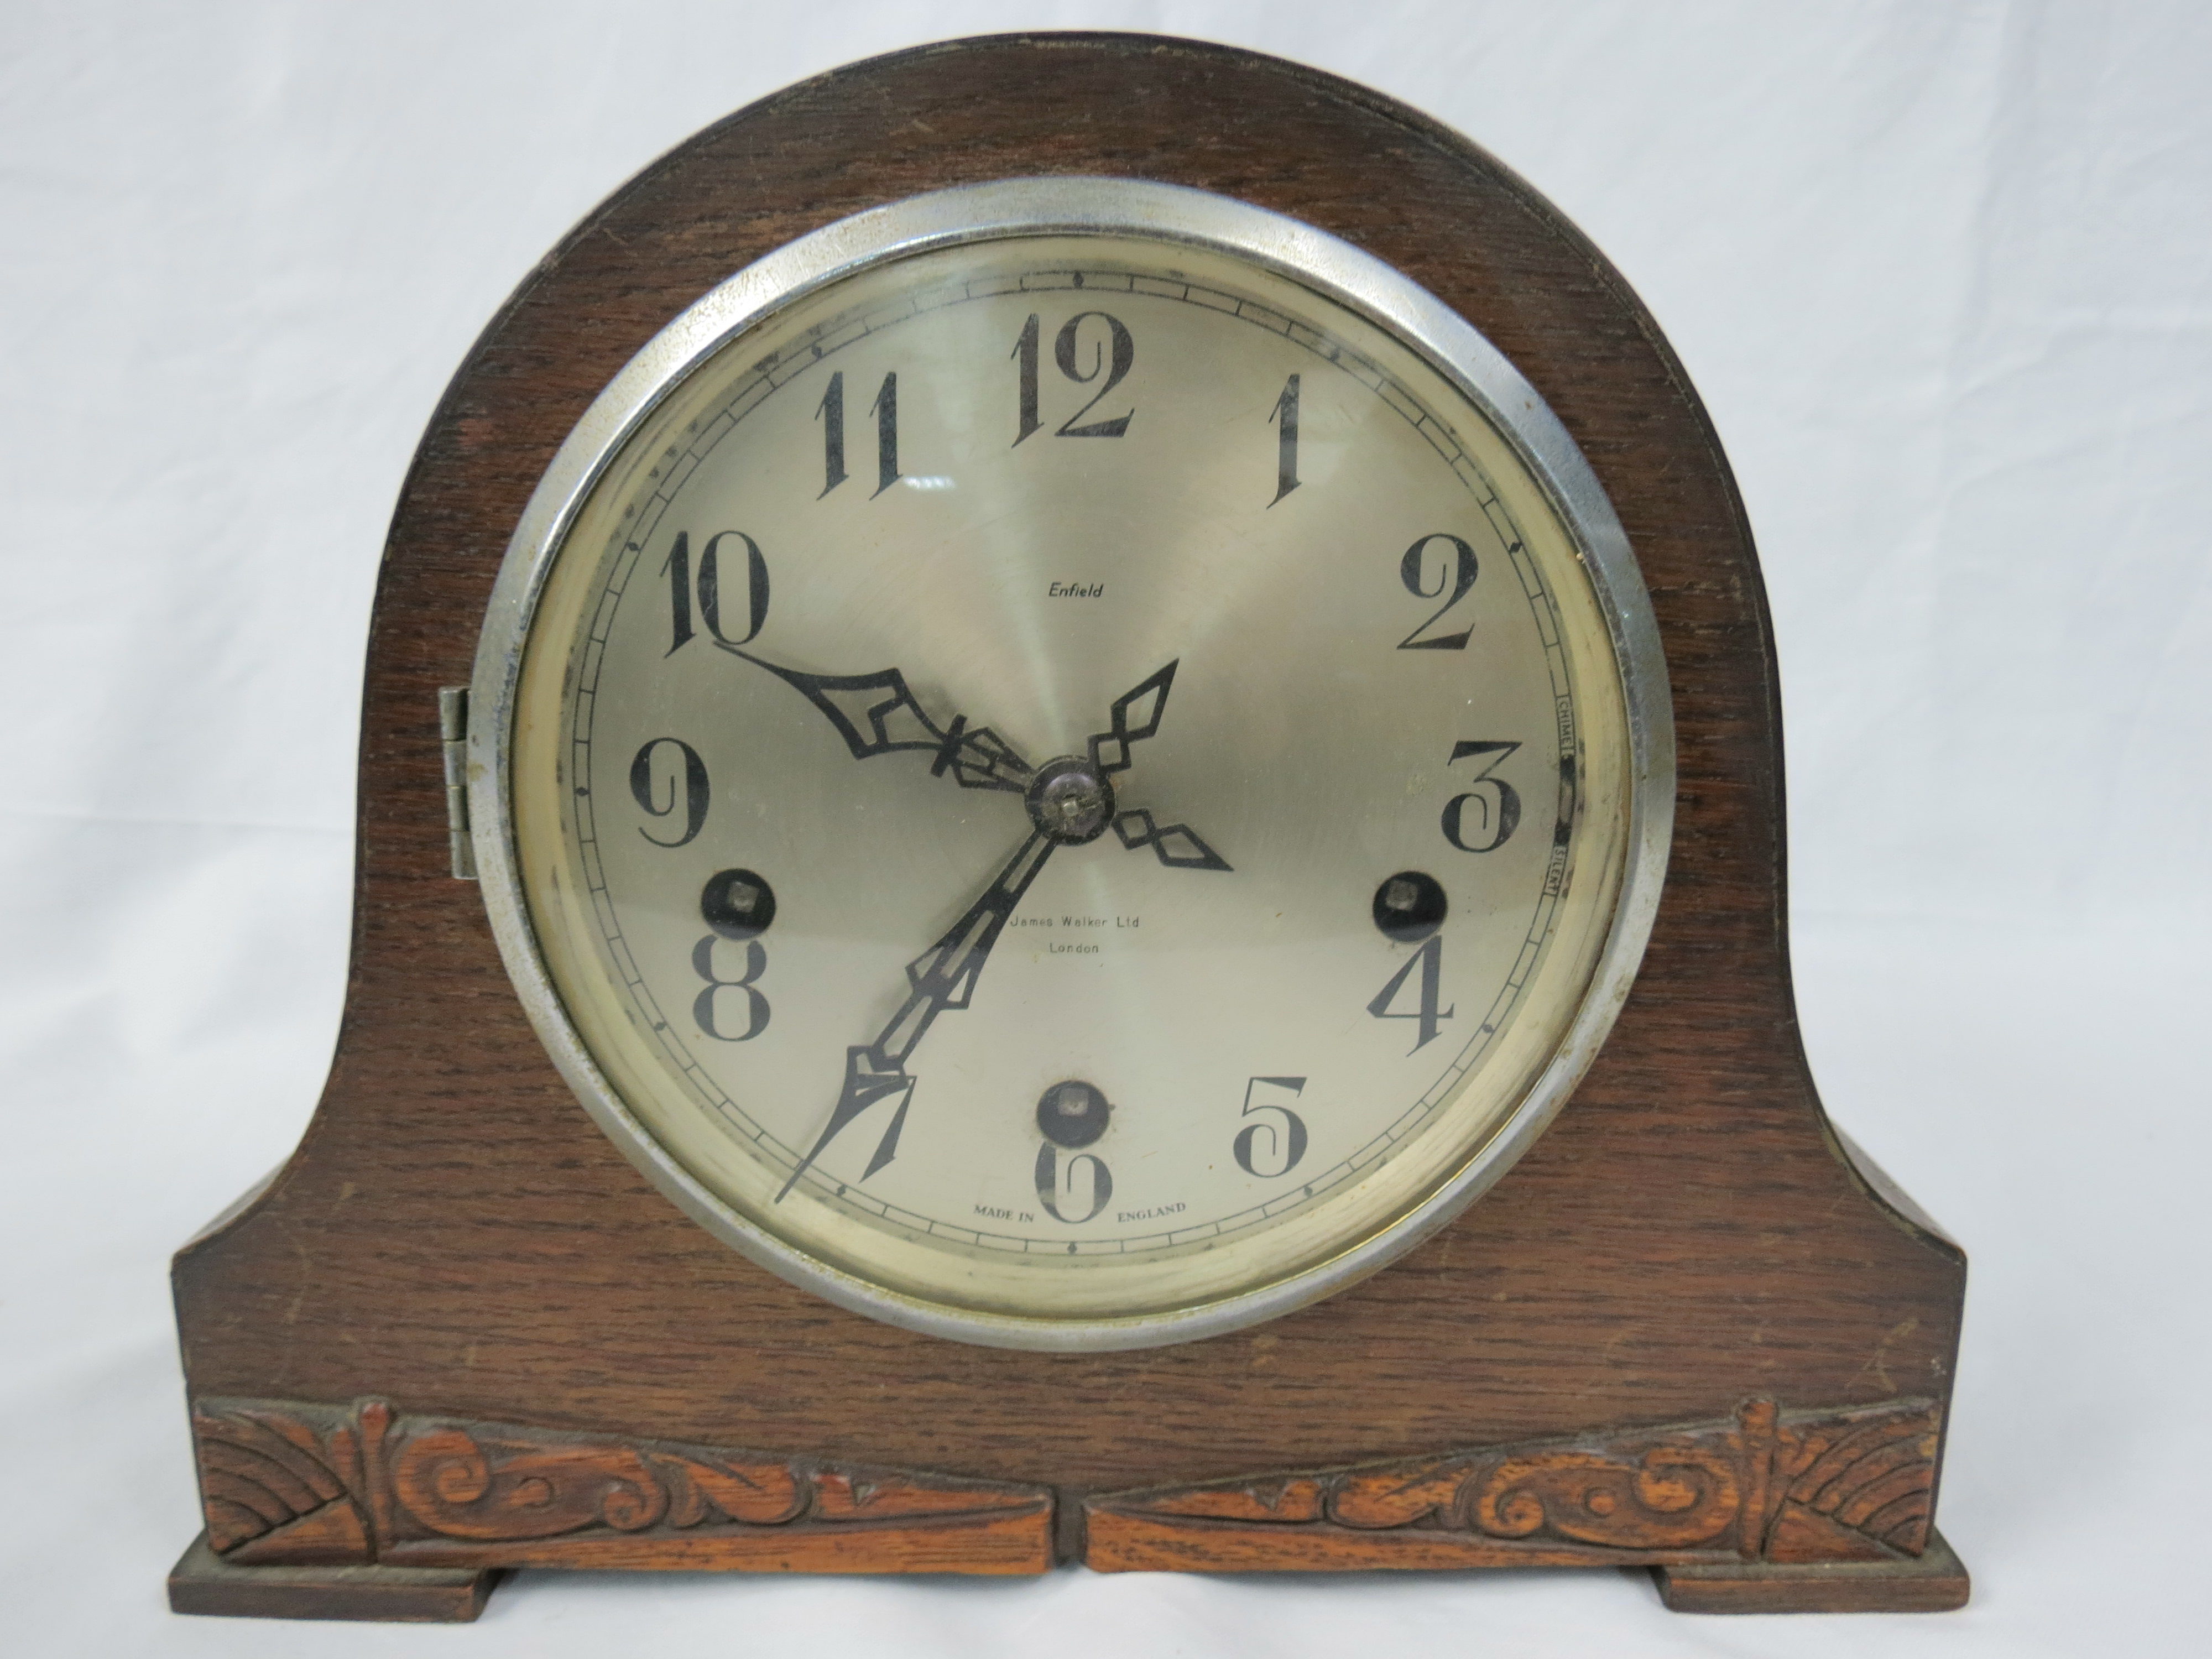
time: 9:35
